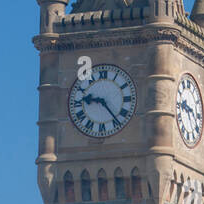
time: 9:23
